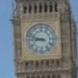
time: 8:48
